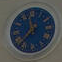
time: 11:37
